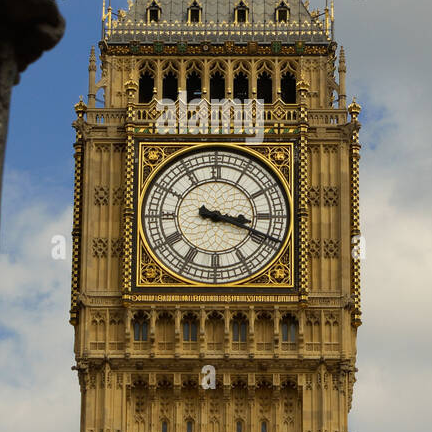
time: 3:18
